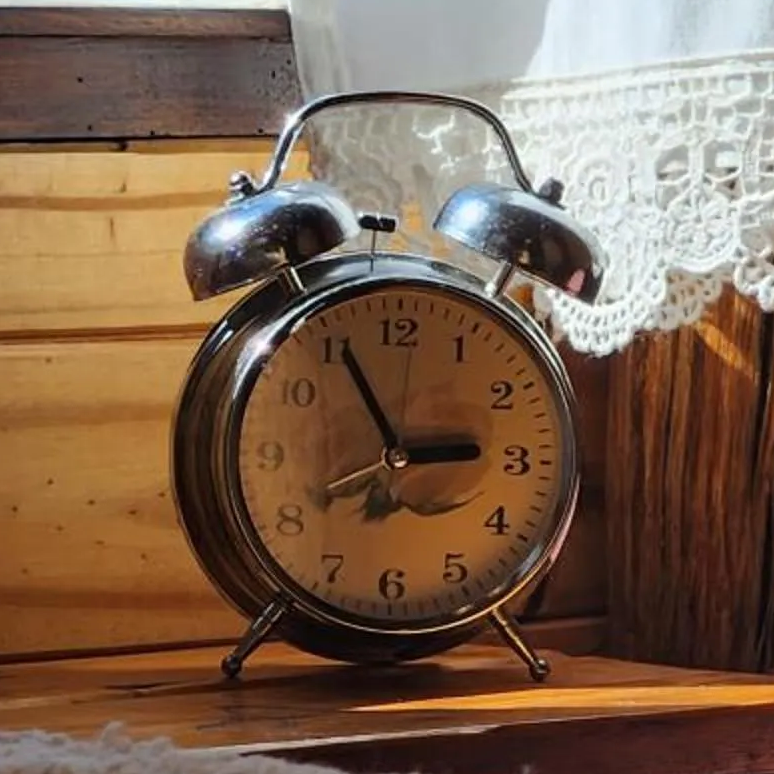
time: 2:55
